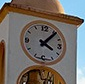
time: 4:06
